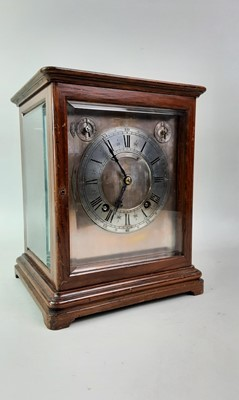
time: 6:54
